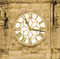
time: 11:16
